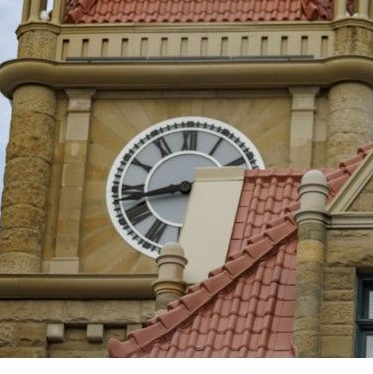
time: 8:42
